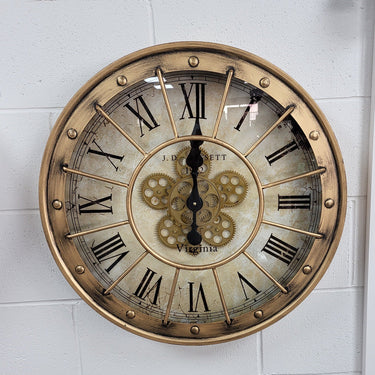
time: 12:00
